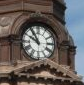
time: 9:54
